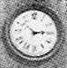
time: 2:52
